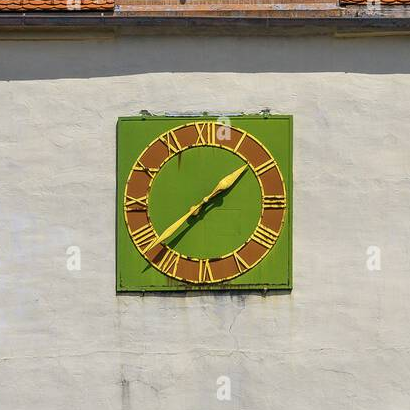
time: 1:38
